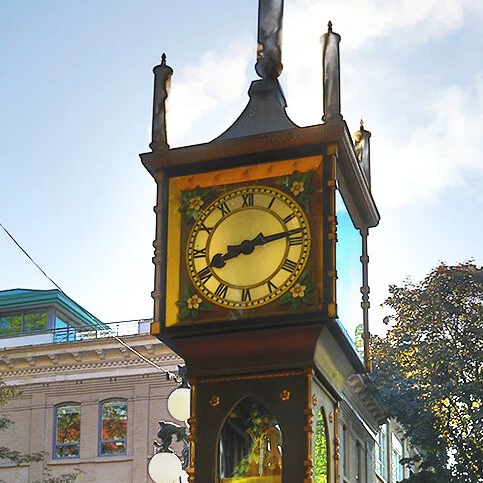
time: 8:12
